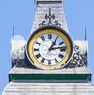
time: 1:13
